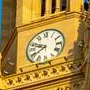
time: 9:40
